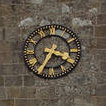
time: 3:35
